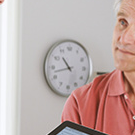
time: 10:42
